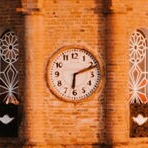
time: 6:11
